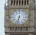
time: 6:32
